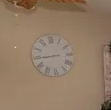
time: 8:44
